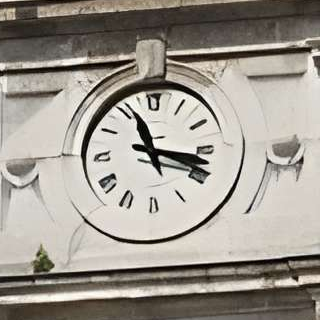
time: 11:17
